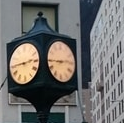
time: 2:44
